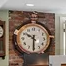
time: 10:30
